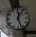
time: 12:26
